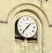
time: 1:36
